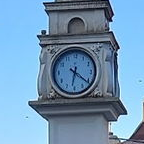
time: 6:21
